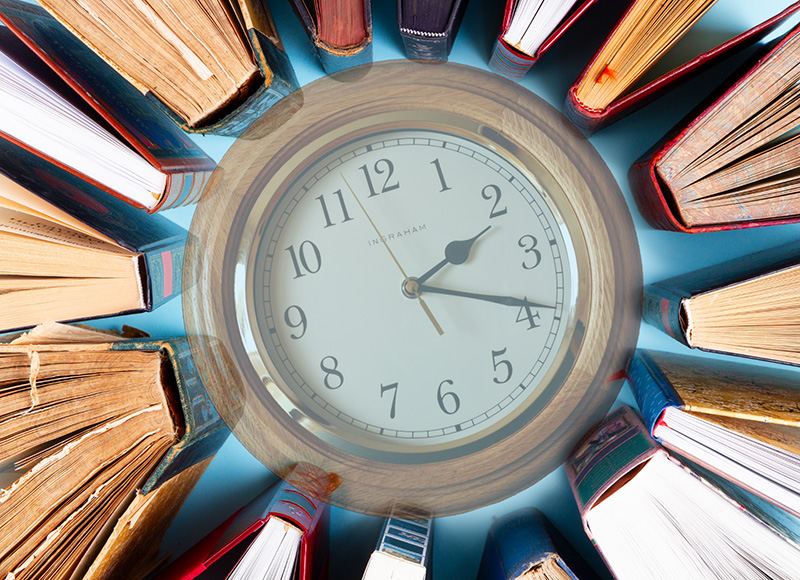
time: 2:19
